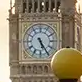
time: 5:24
